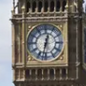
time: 12:32
